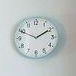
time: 1:49
